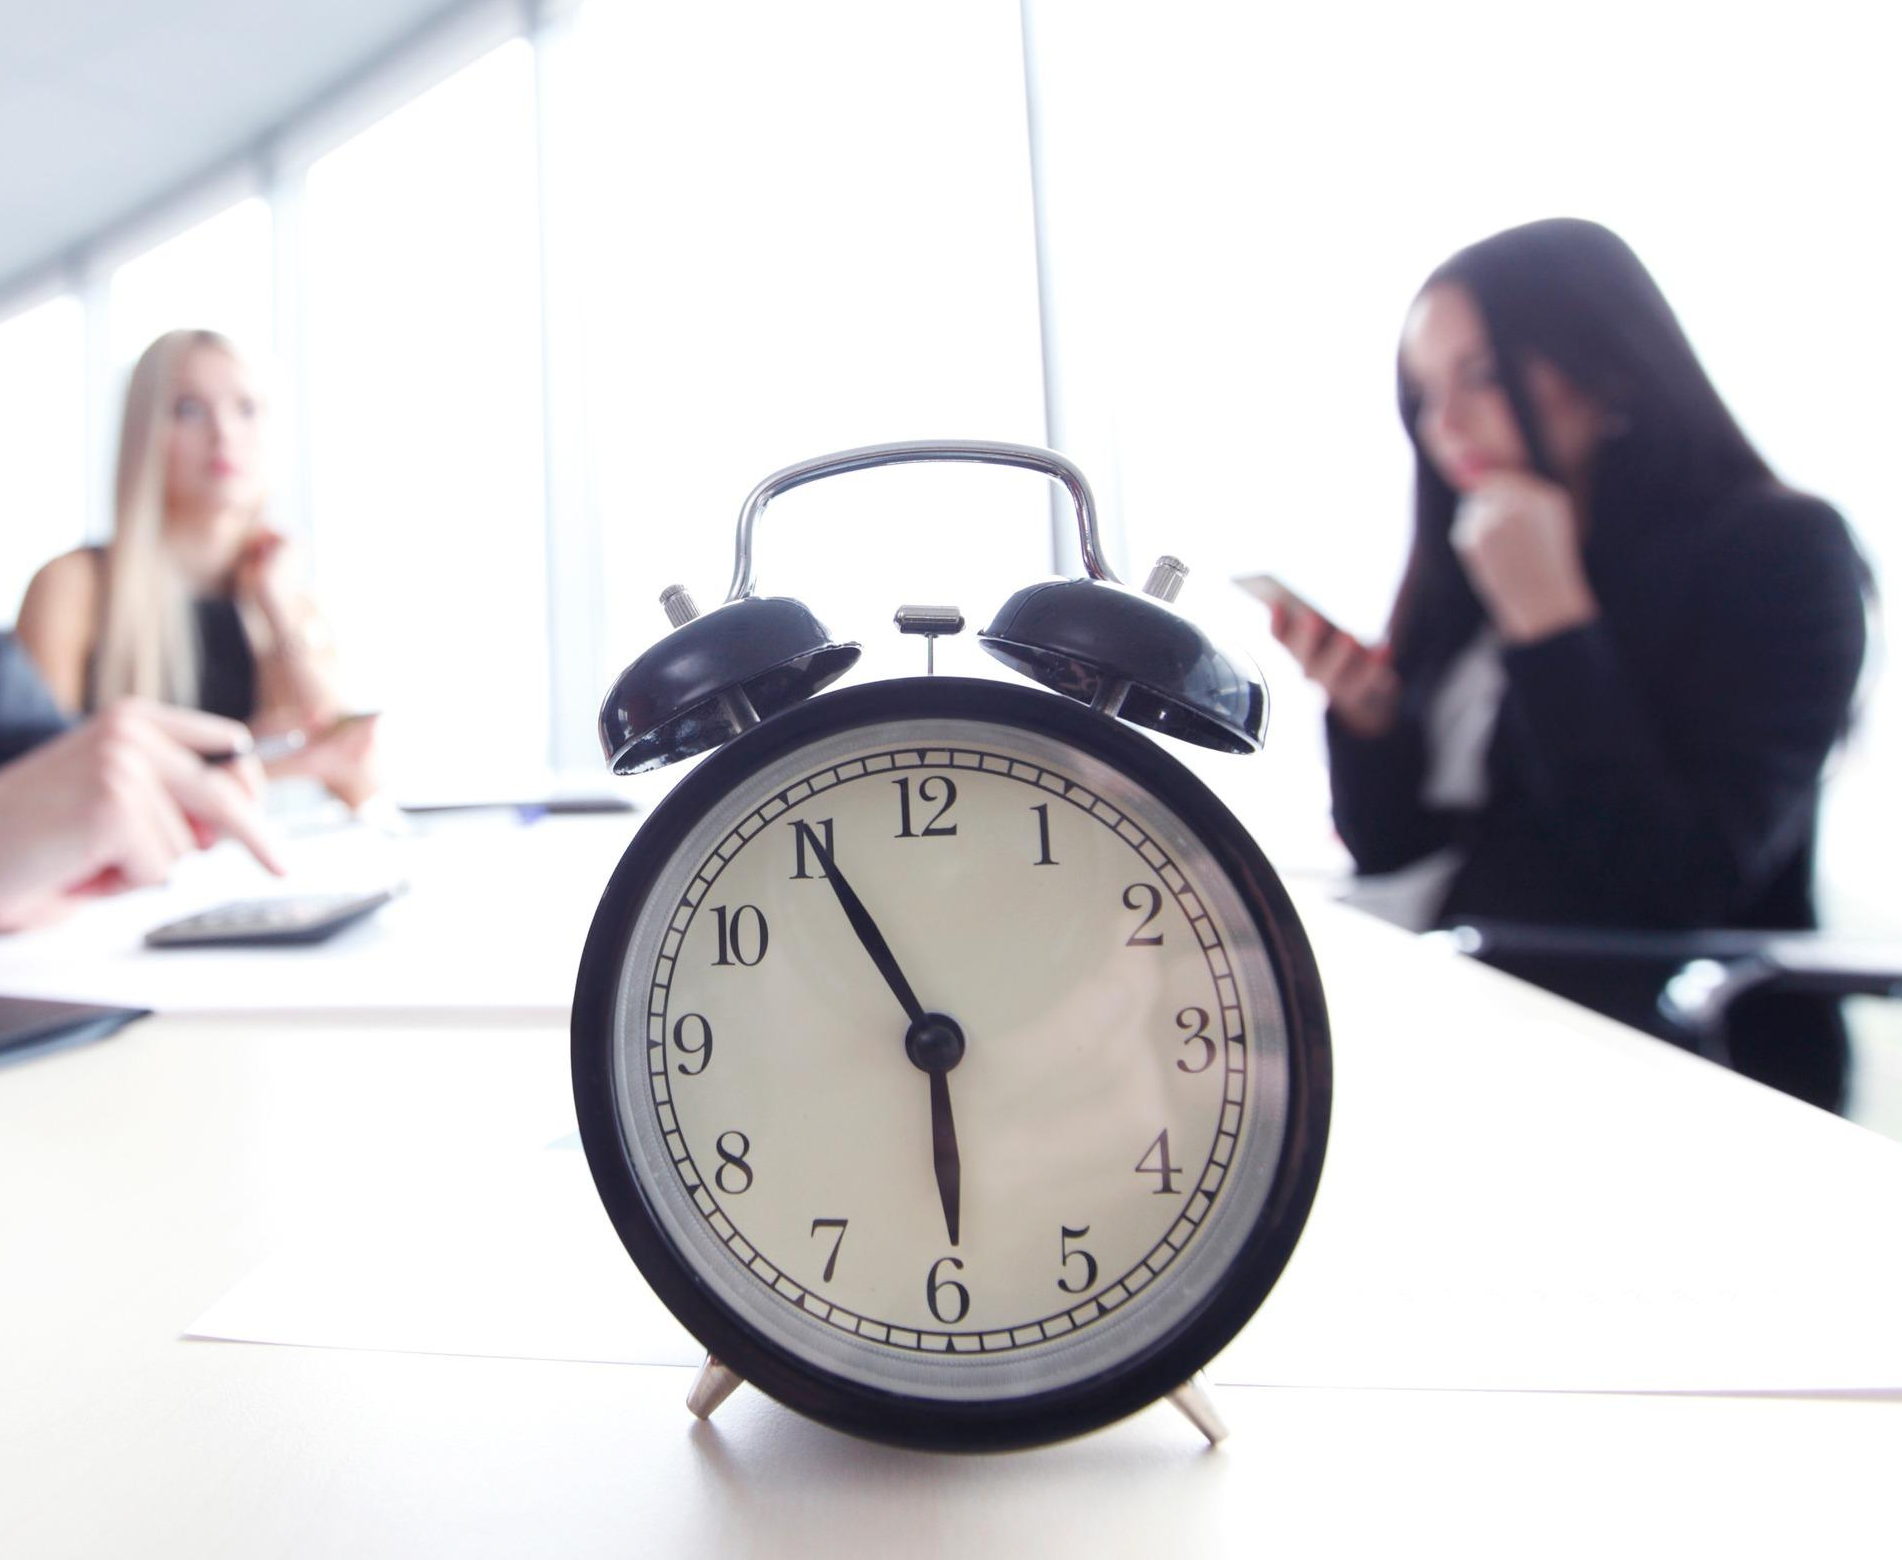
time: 5:55
